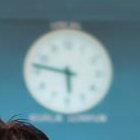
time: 5:46
